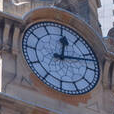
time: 12:12
